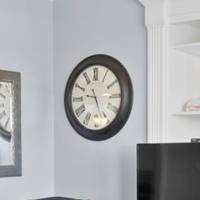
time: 9:26
